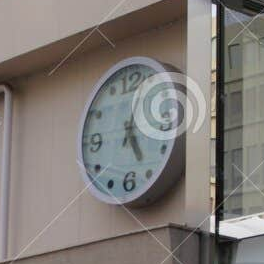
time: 5:03
